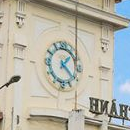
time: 1:21
